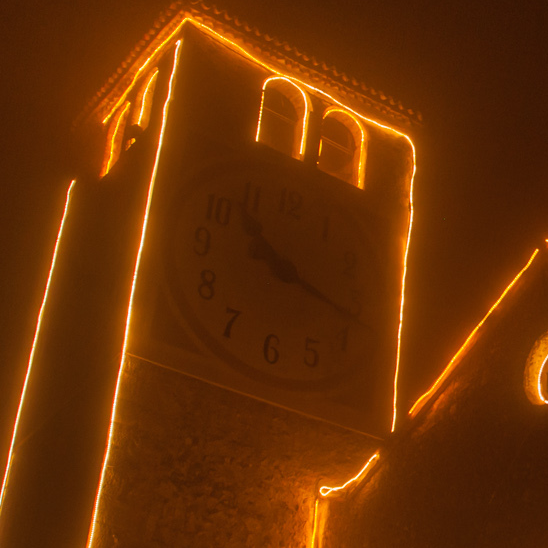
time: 10:18
